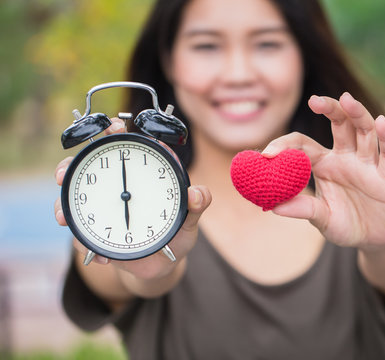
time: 6:00
